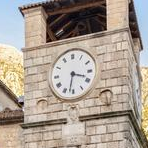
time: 3:32
